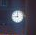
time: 8:59
